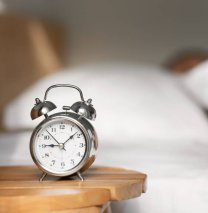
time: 9:08
